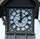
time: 12:08
